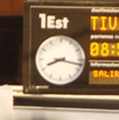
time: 8:17
